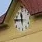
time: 11:46
